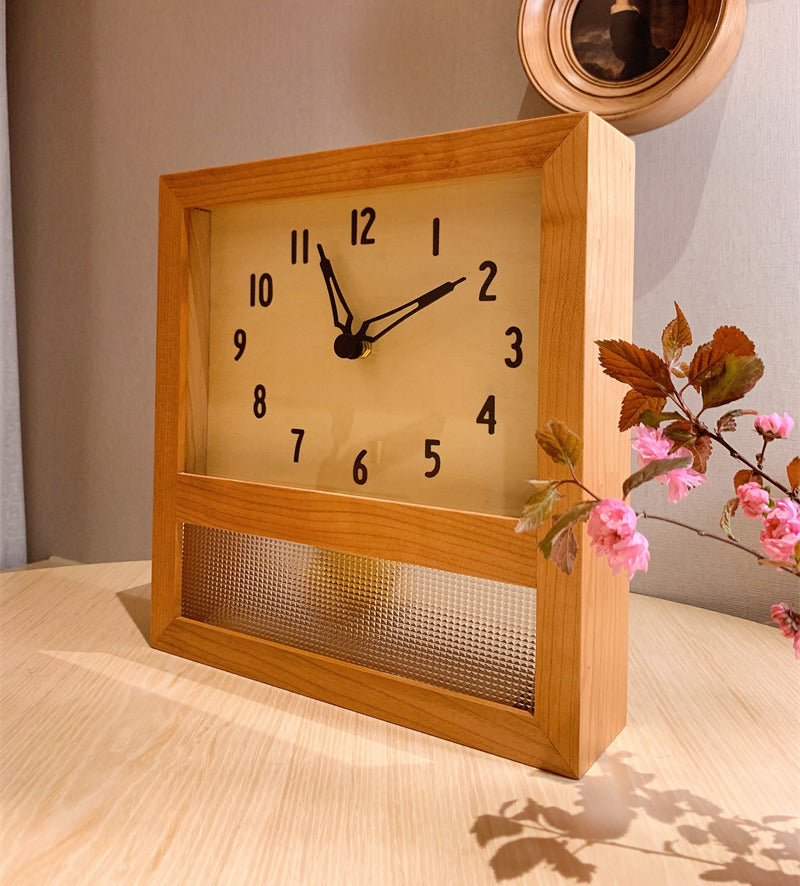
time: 1:56
